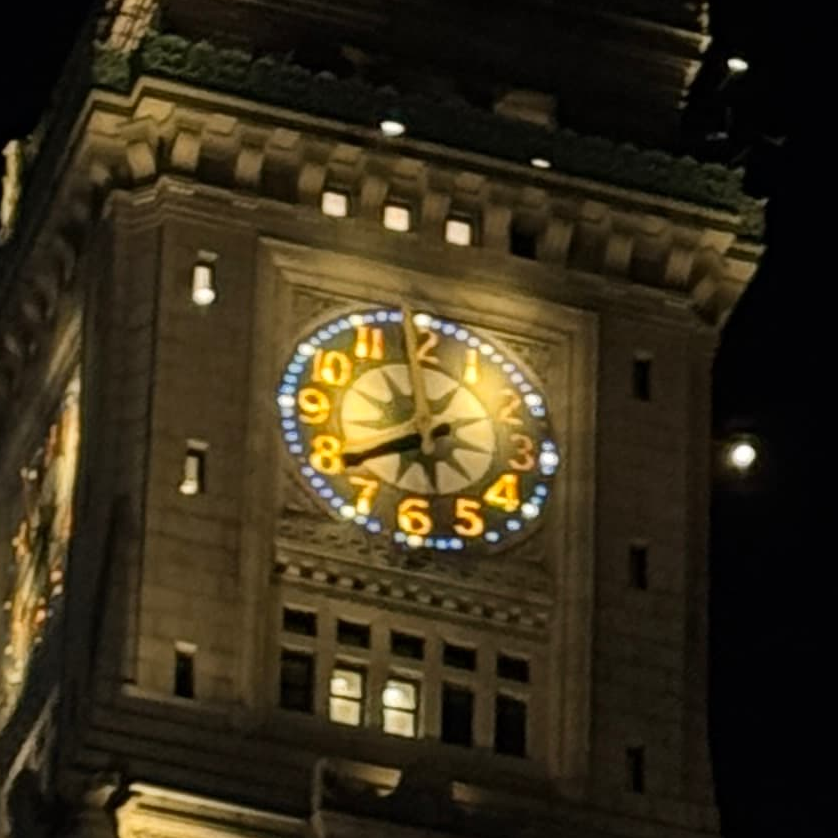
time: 7:58
